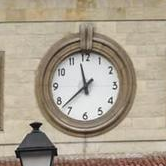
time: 11:37
